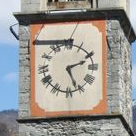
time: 2:26
